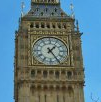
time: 1:24
